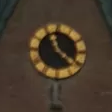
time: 11:21
